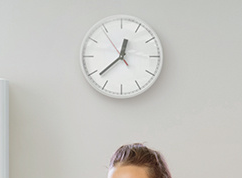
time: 12:38
